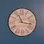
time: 11:16
